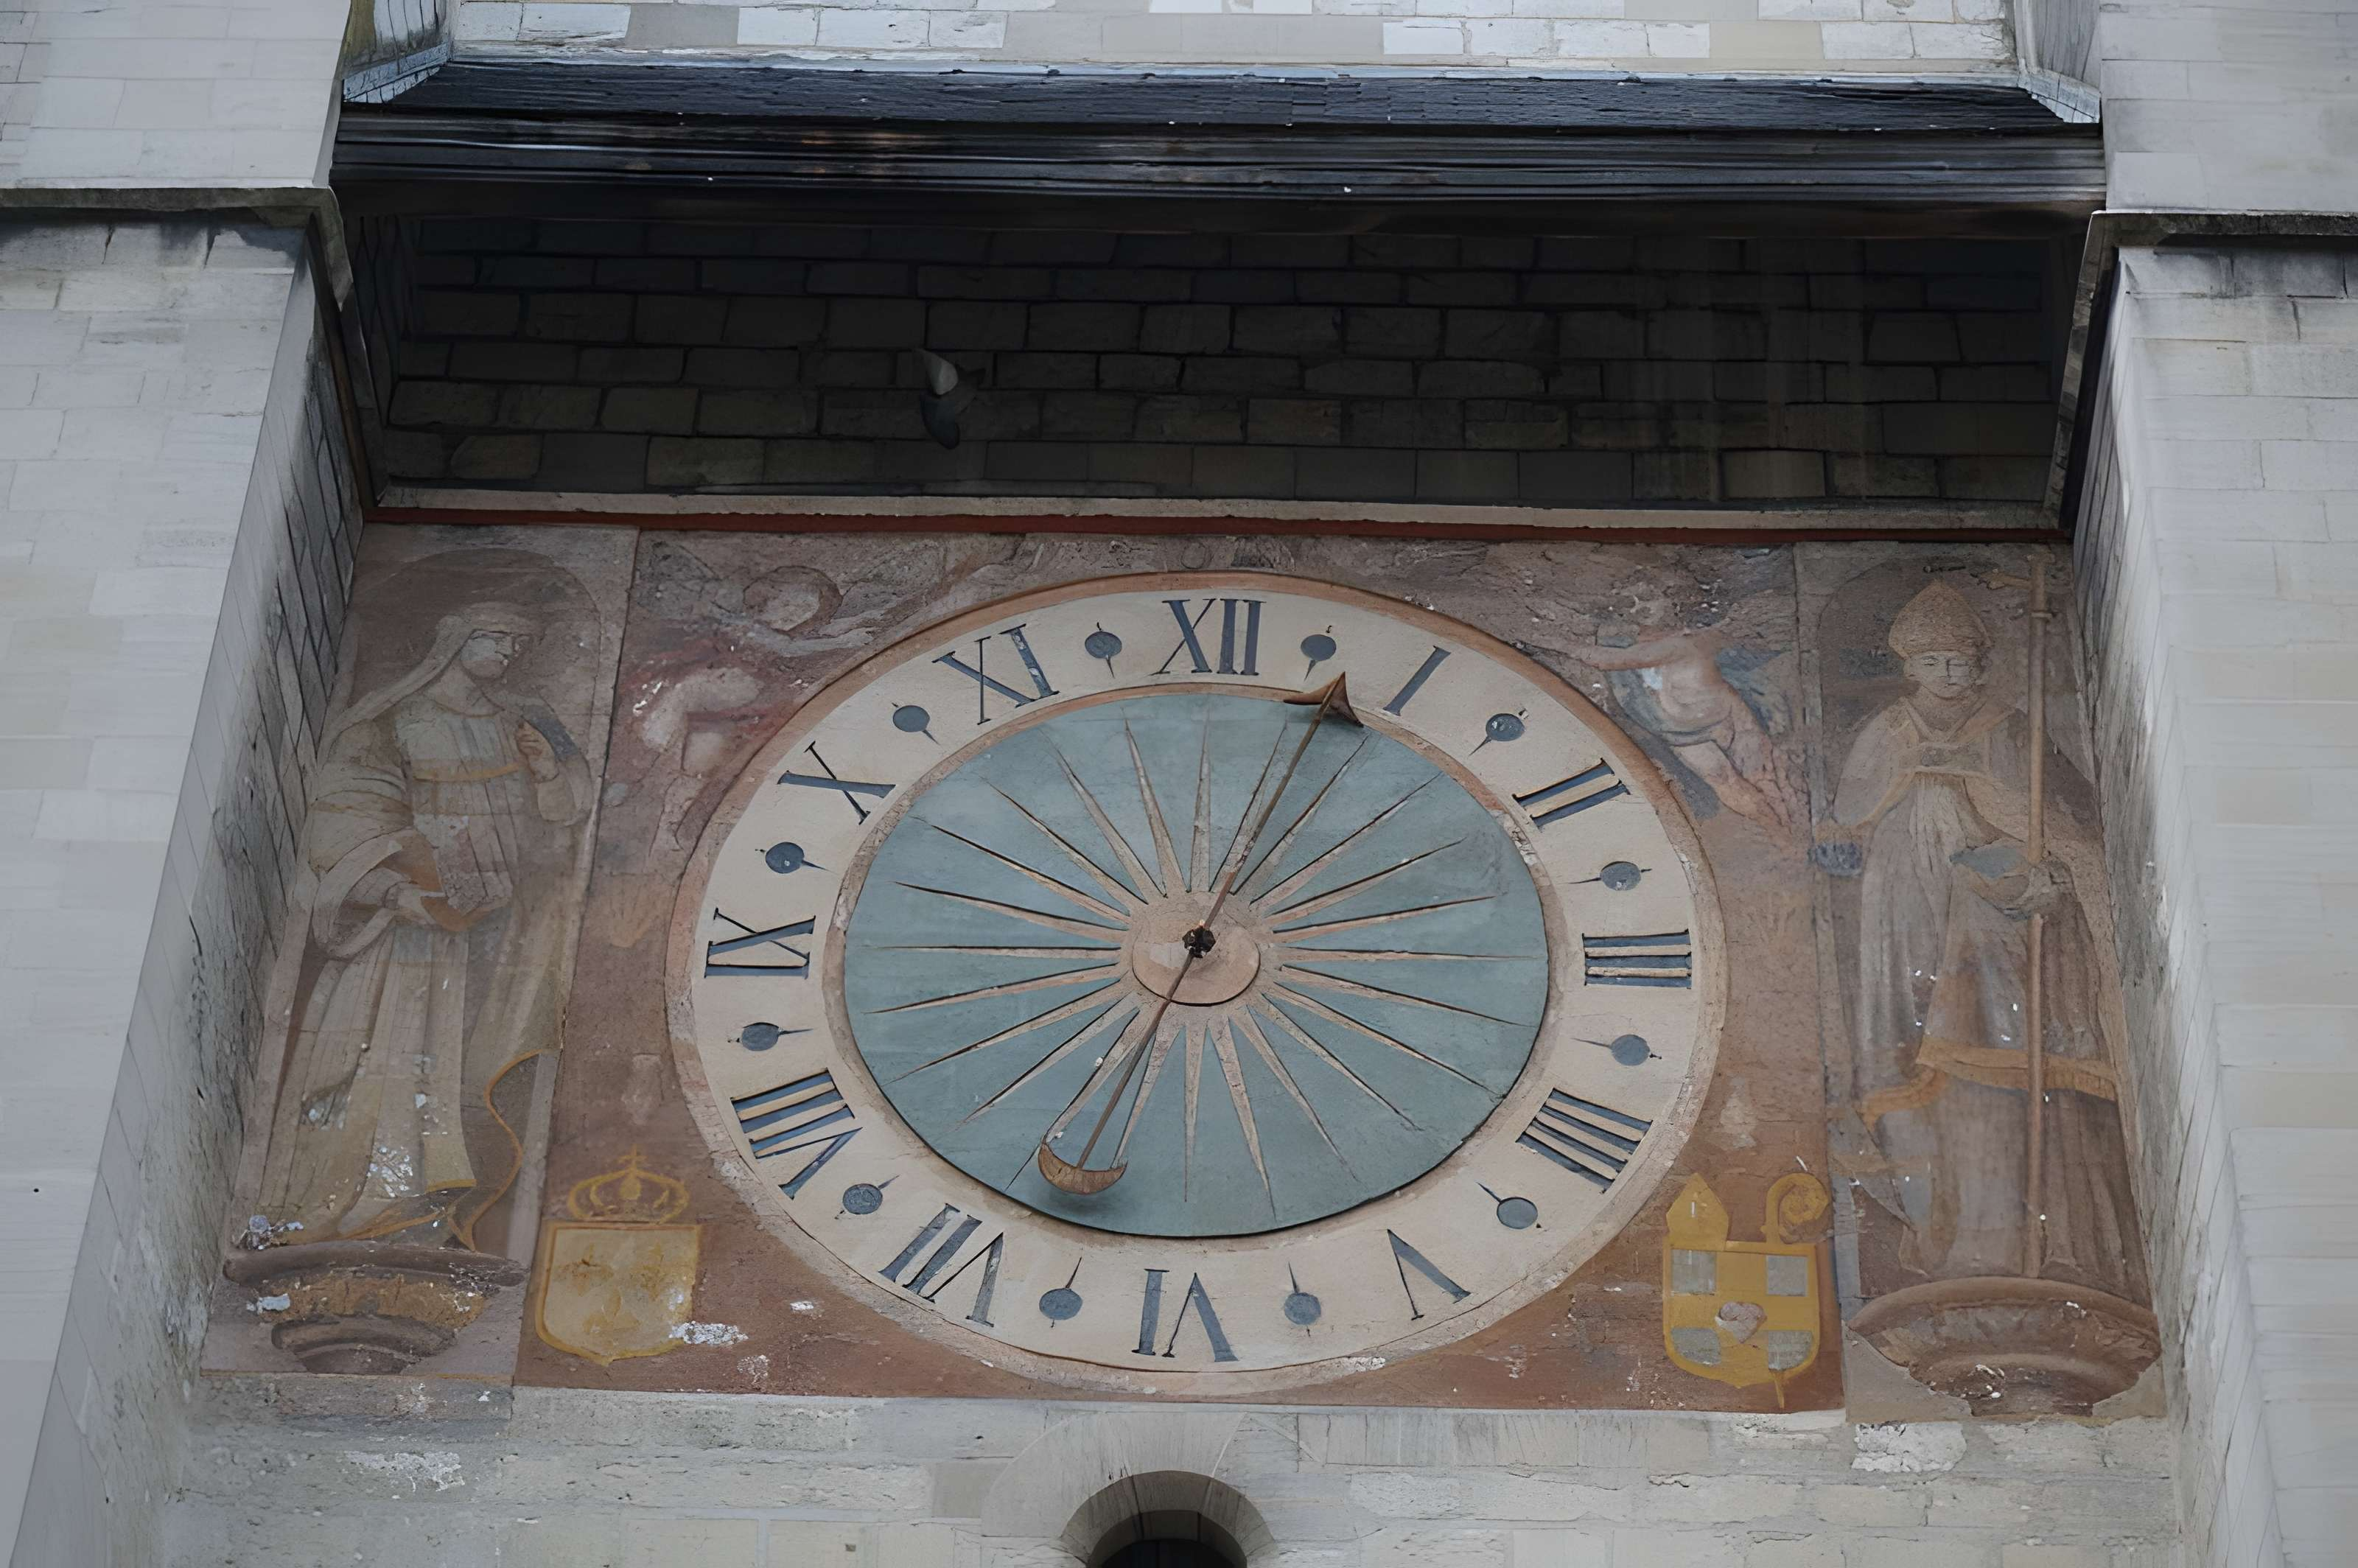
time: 12:32
